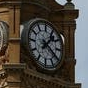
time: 1:20
